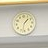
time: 1:32
